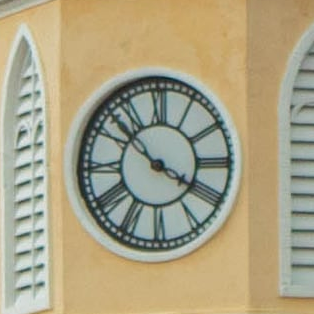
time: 3:52
